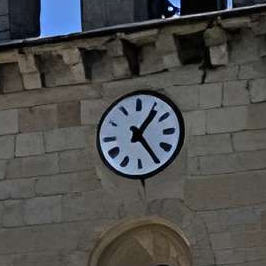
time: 1:24
